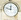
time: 11:47
